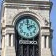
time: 2:00
